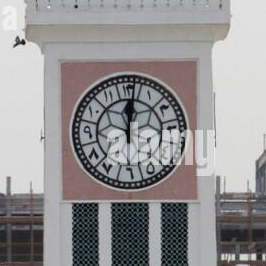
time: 12:01
